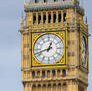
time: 12:42
